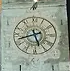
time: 5:42
